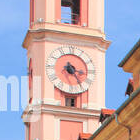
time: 3:24
